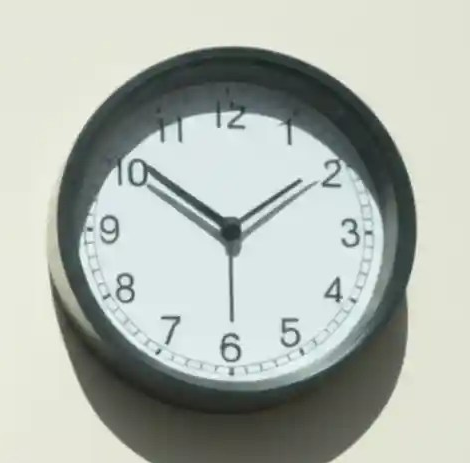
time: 1:50
